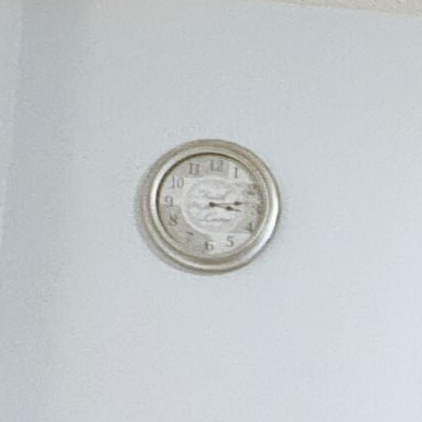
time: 3:12
